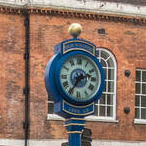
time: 2:35
